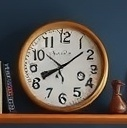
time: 8:08
